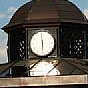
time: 5:59
